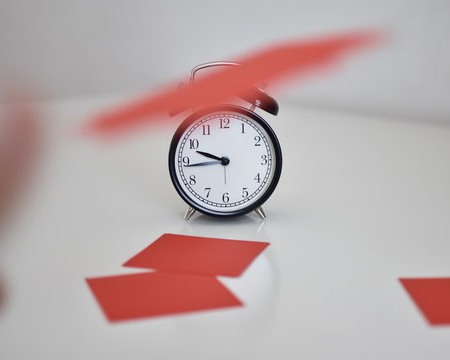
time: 9:43
